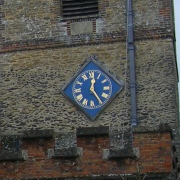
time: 12:24
